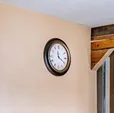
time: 11:19
